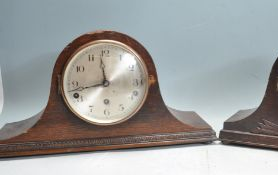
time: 11:42
